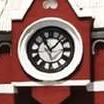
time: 11:07
